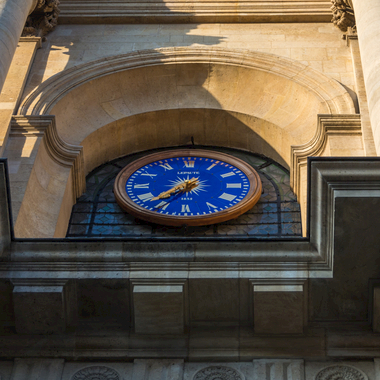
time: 7:36
